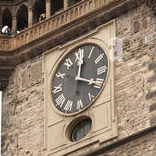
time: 12:19
